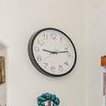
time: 9:12
